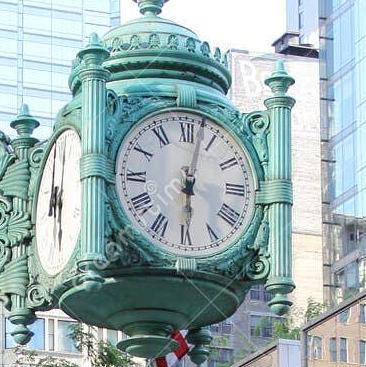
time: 6:02
